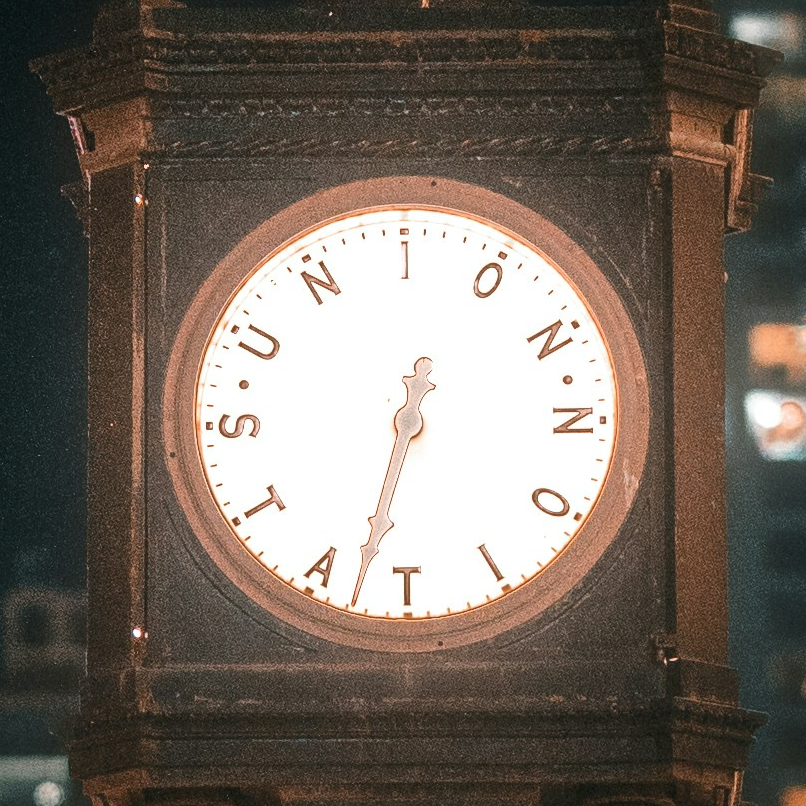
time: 6:32
